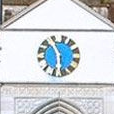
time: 5:54
